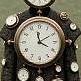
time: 3:58
